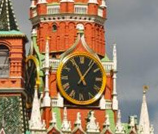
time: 11:06
